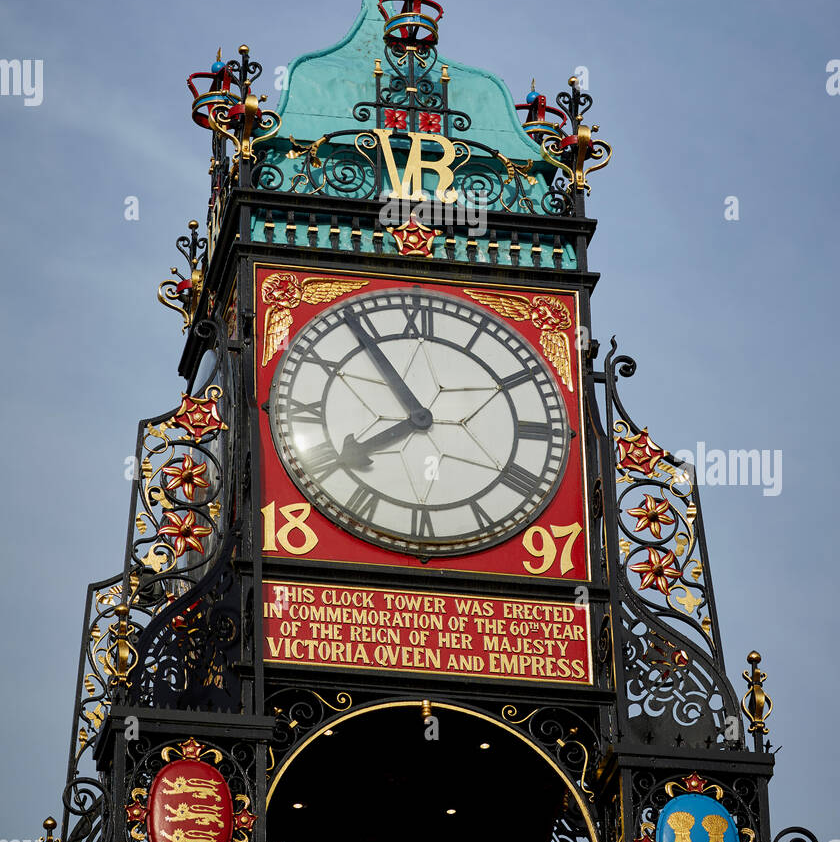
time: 7:54
